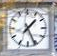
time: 1:26
